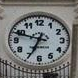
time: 6:48
